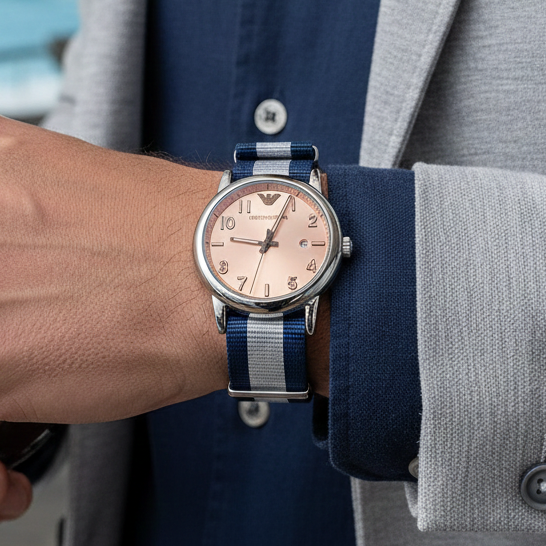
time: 9:04
